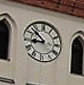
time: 8:52
